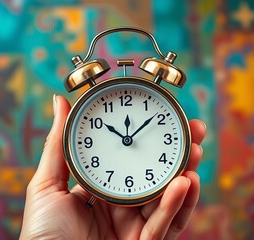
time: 10:08
